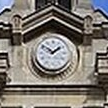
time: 1:51
